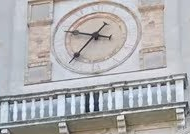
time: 9:36
